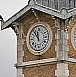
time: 11:53
